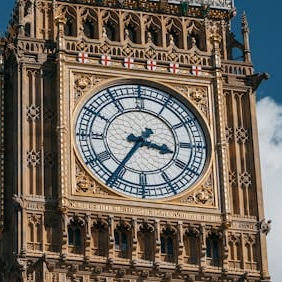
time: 3:35
